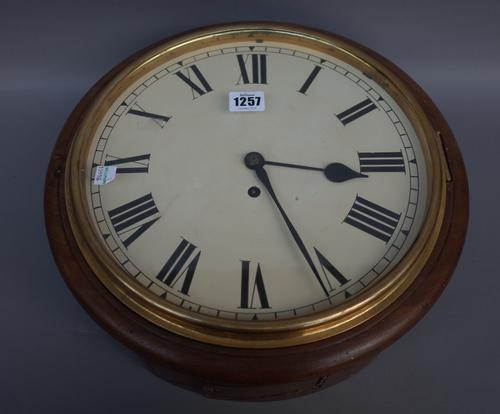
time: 3:25
